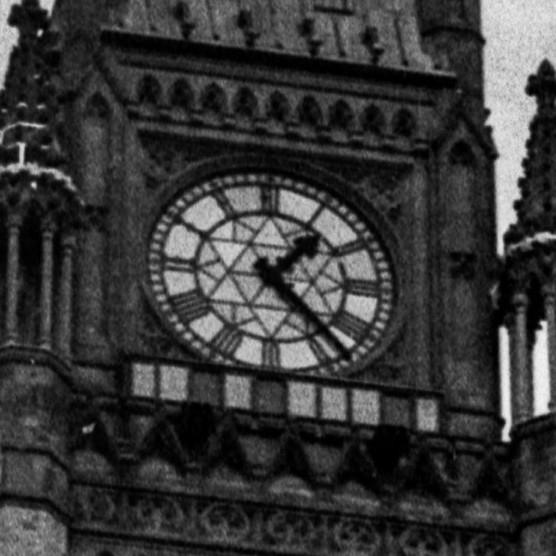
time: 1:22
